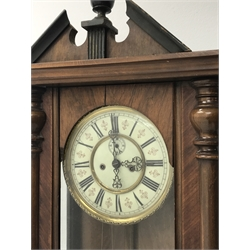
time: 3:00
